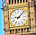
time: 9:07
